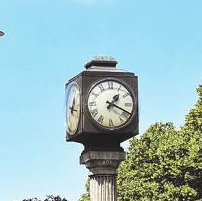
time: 1:18
